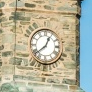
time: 12:38
